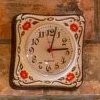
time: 3:02
